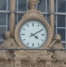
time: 4:10
